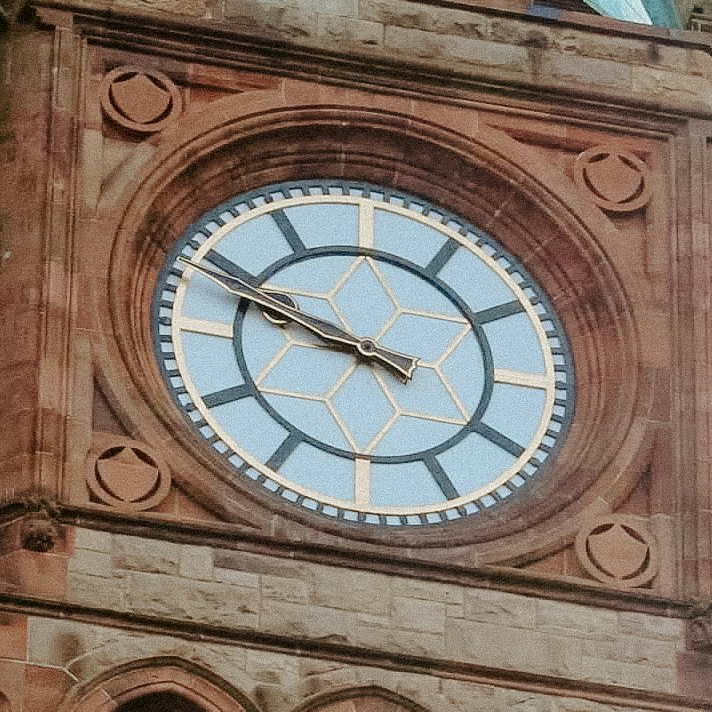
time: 9:48
